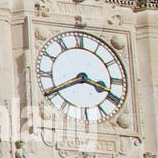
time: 3:40
